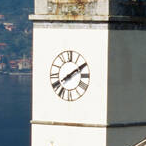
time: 8:09
